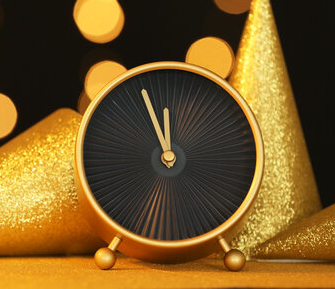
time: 11:55
